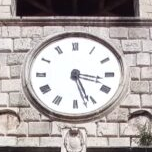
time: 3:26
